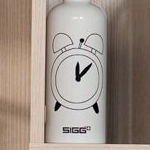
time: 12:07
